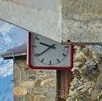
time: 9:39
